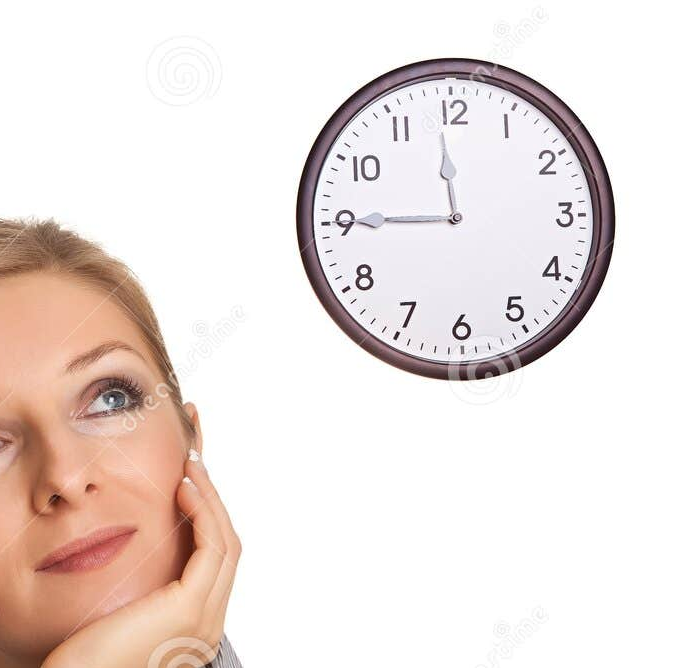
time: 11:45
